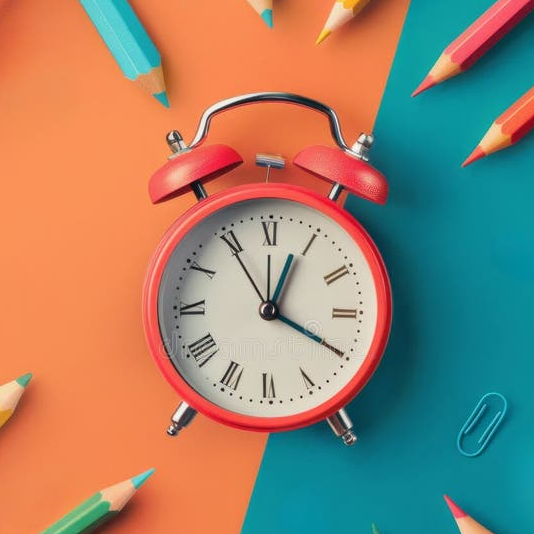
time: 12:19
